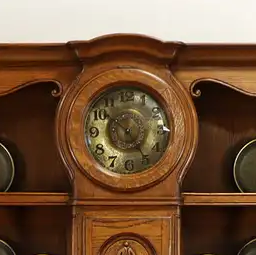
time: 10:24
